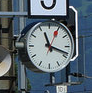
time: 11:18
